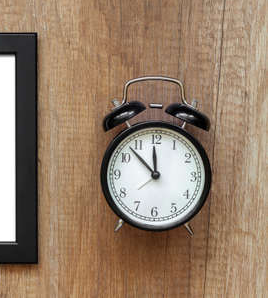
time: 11:52
